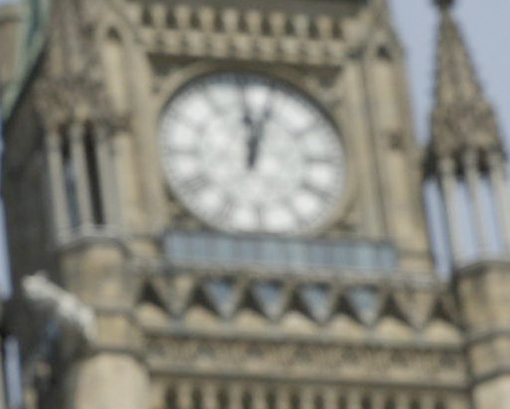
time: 12:03
